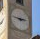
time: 2:46
